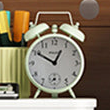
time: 12:50
